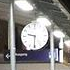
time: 9:31
